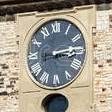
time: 3:13
